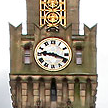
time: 9:18
